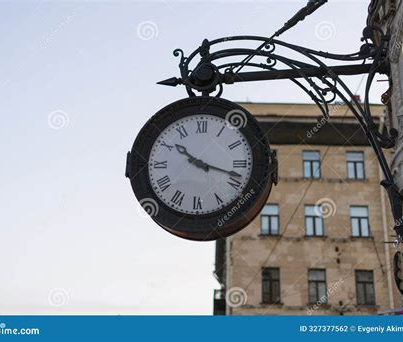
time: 10:17
